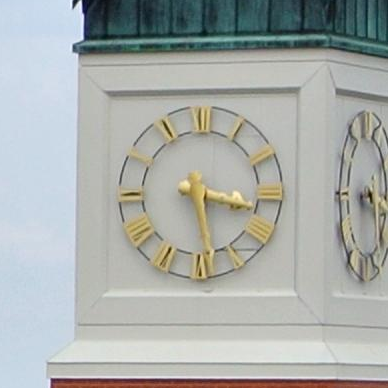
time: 3:28
